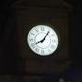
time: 8:06
